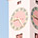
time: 8:23
